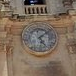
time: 5:08
